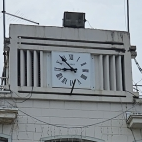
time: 8:53
